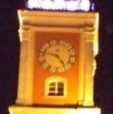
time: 4:47
